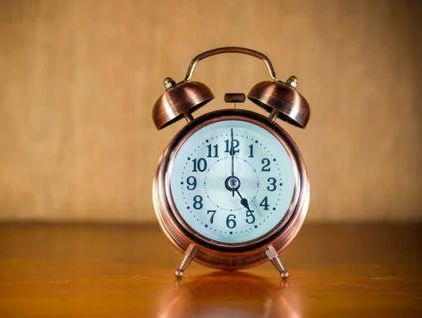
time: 5:00
